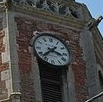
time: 3:37
